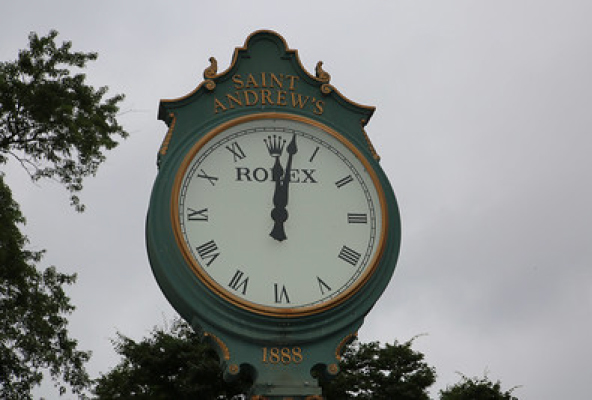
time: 12:01
